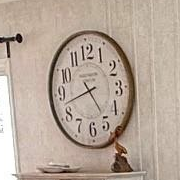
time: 4:42
